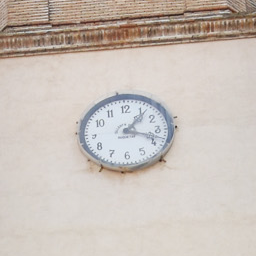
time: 1:18
